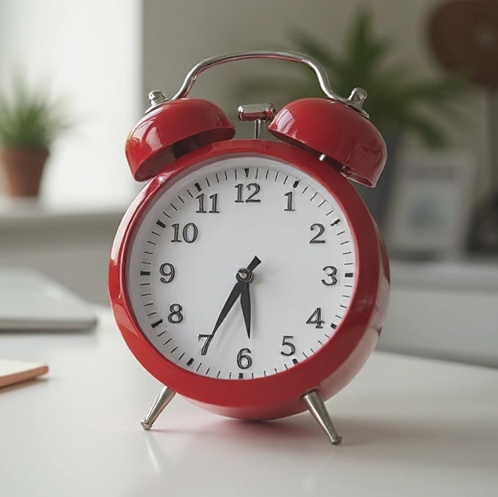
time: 5:34
